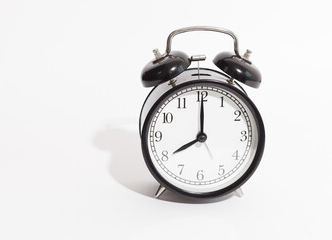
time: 8:00
